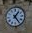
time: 1:24
